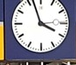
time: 3:56
